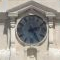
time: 2:24
